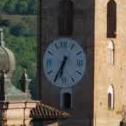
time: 6:35
